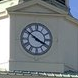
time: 3:50
